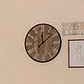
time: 12:07
